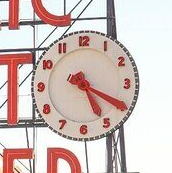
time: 5:19
